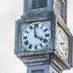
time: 3:58
